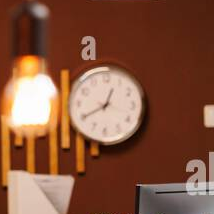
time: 12:40
